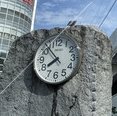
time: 7:53
